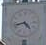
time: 4:42
